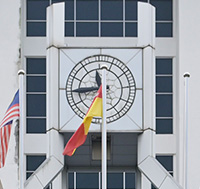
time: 11:44
